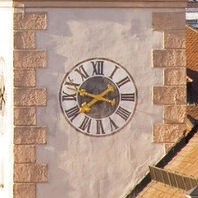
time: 7:47
